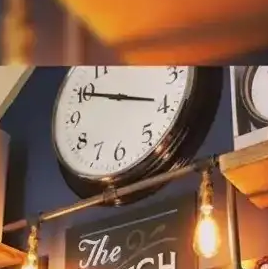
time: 3:49
